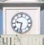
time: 9:32
